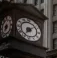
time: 7:08
